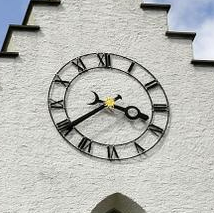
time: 3:39
